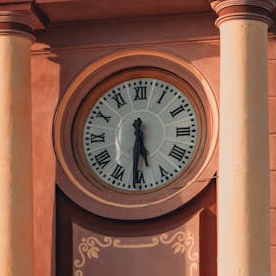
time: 5:30
